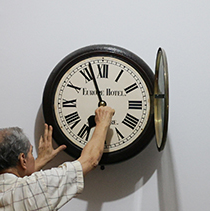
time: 6:56
